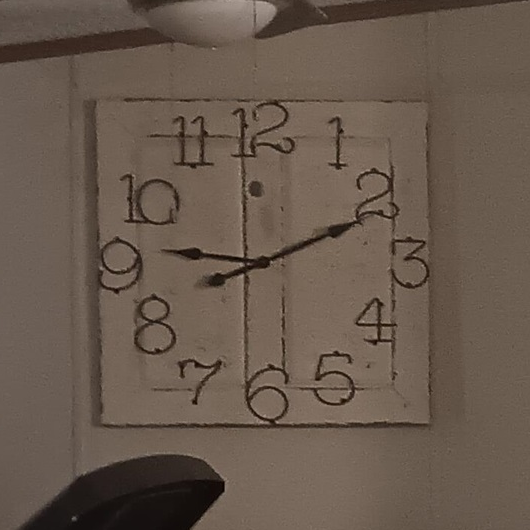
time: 9:11
